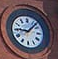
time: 9:07
